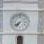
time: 7:34
